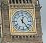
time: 12:23
